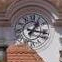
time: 1:16
